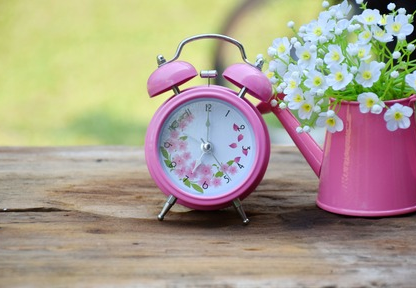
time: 5:00
